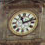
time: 11:11
